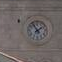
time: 1:54
